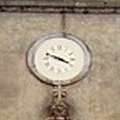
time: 3:48
